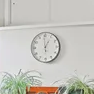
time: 12:59
